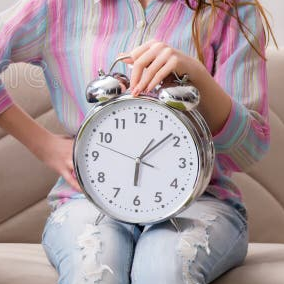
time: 6:08
